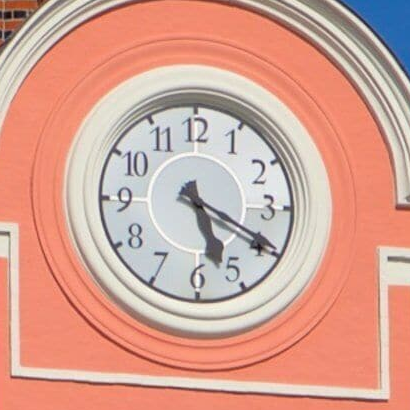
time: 5:19
